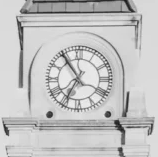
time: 6:54
